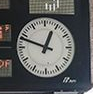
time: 12:48
